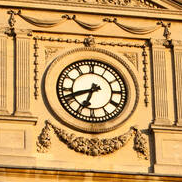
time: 6:41
